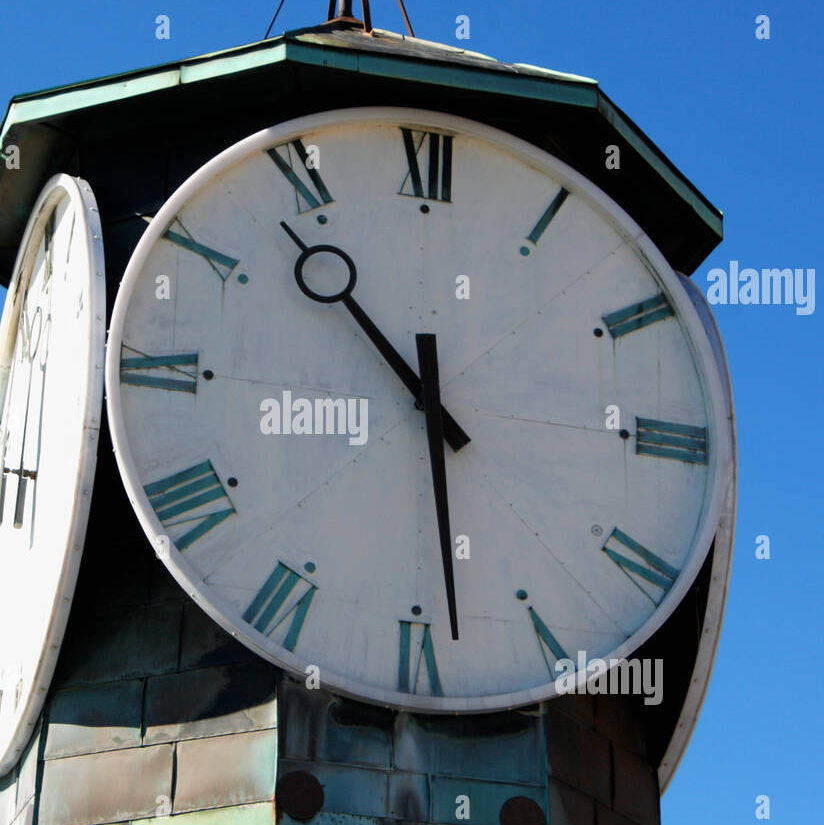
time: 10:28
